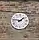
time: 1:46
